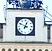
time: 12:49
